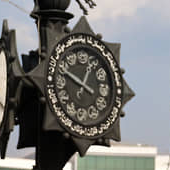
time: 12:49
